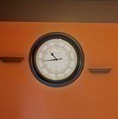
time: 10:43
